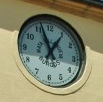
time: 12:56
